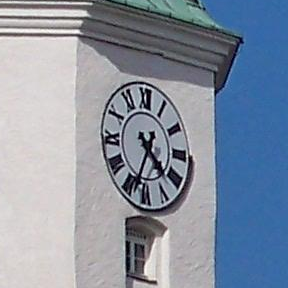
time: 4:34
